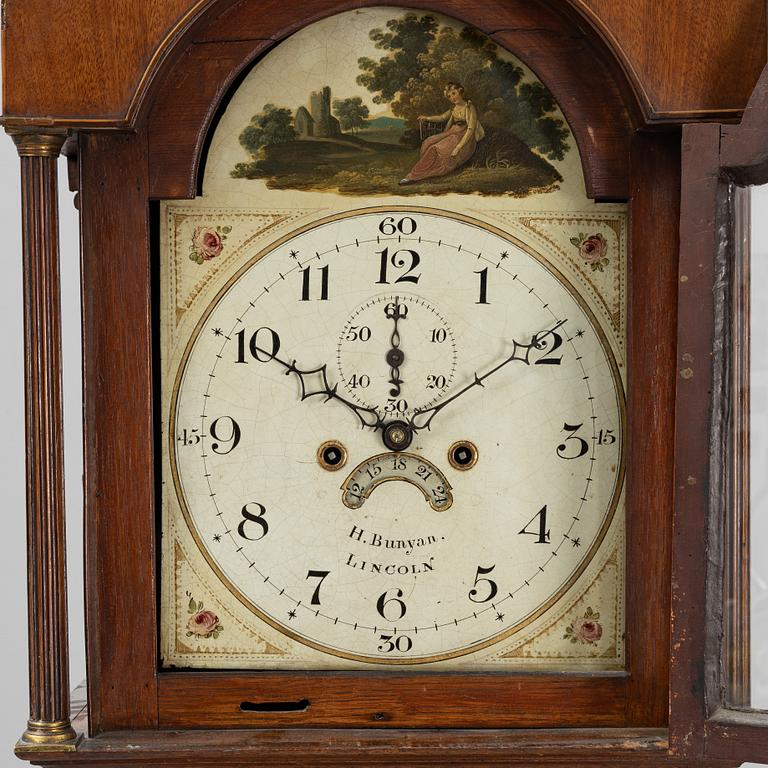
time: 10:00
